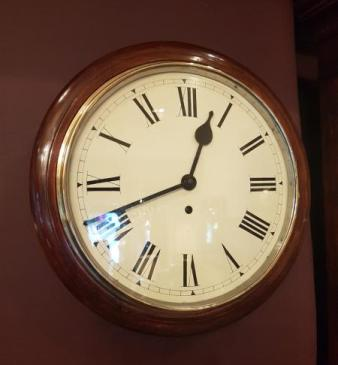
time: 12:41
